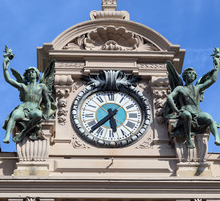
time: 5:37
